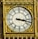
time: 3:17
